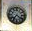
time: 7:20
